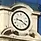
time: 9:20
